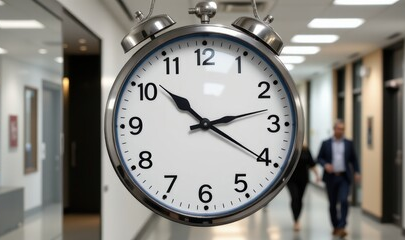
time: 10:20
